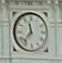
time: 11:36
